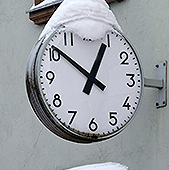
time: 12:51
